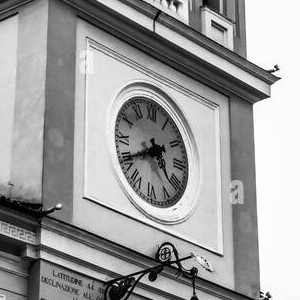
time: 4:40
